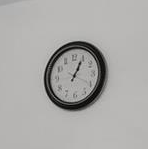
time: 1:04
